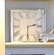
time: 2:30
